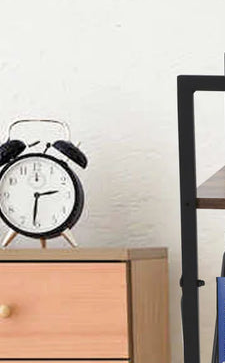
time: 2:31
